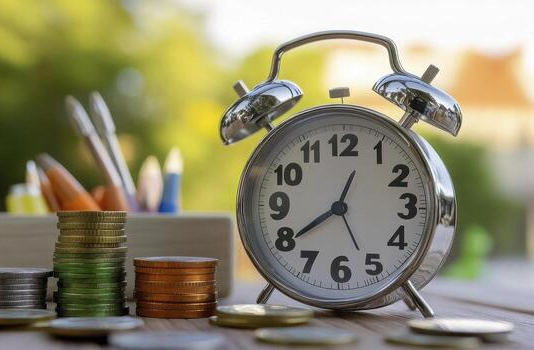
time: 12:39
